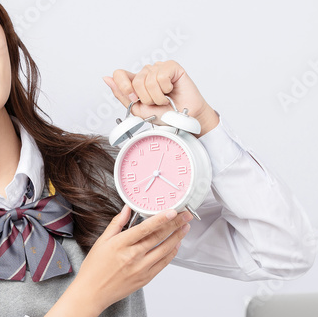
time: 7:21
